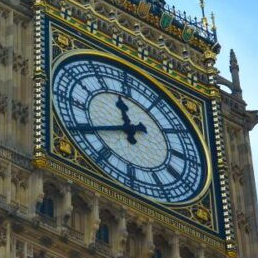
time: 11:40
